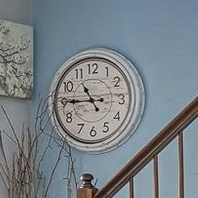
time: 10:45
